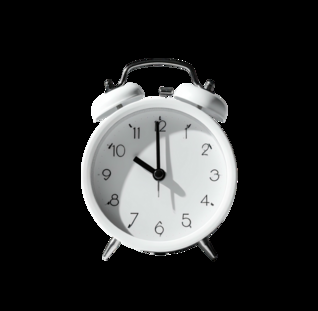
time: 9:59
